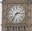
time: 2:36
